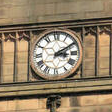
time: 3:09
